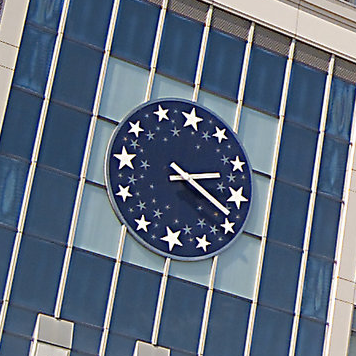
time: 2:18
